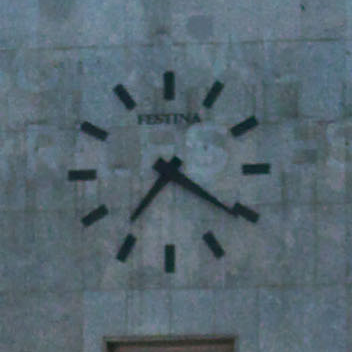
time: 7:20
